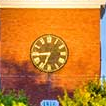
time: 6:44
